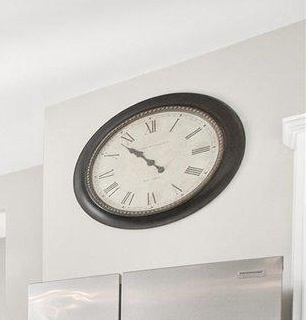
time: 10:53
